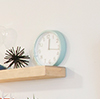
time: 12:17
